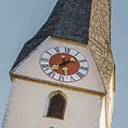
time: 1:37
